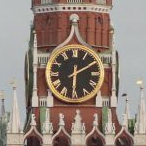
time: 6:10
